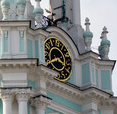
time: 3:40
